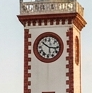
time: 10:15
